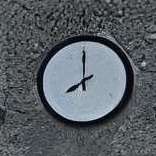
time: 7:59
